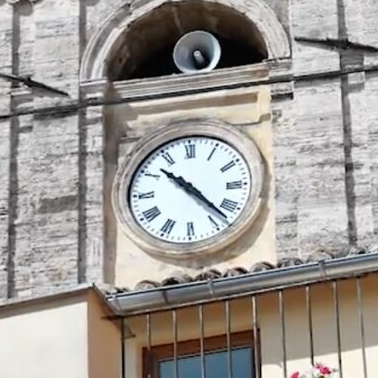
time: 10:22
